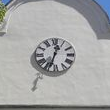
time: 12:33
